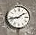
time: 1:42
